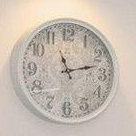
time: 11:12
